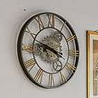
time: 3:47
